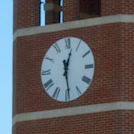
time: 12:28
